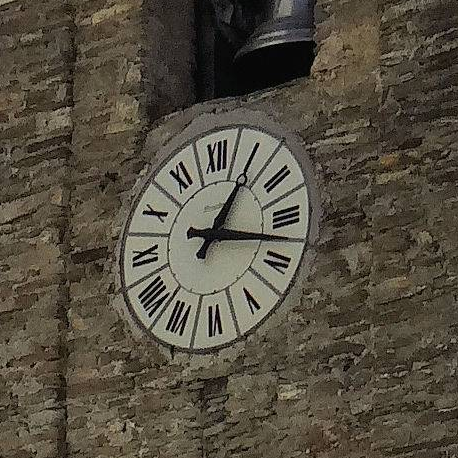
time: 1:17
